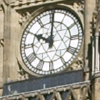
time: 10:00
